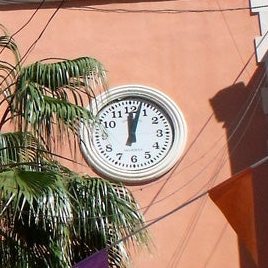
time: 12:02
